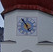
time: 4:54
